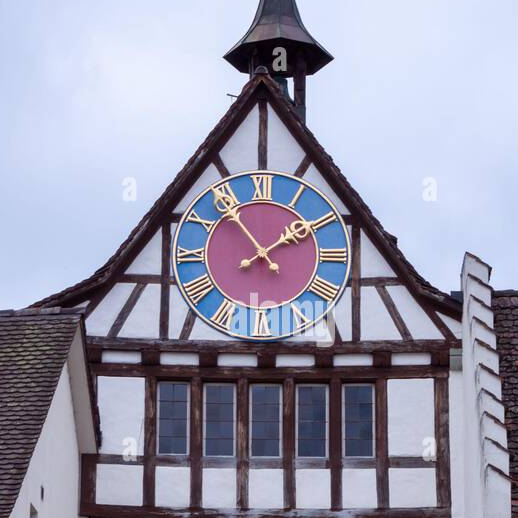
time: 1:53
